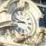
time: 8:47
